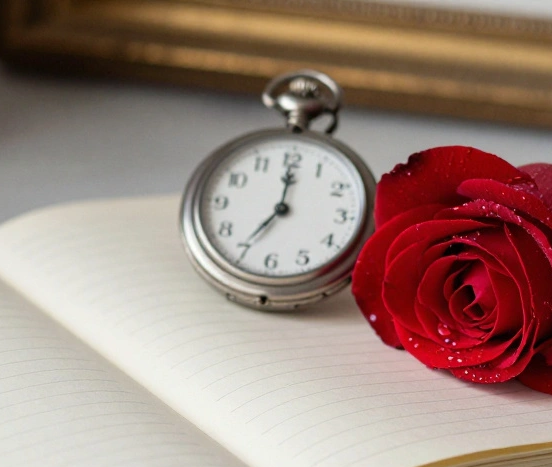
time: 7:00
